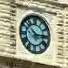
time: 2:52
